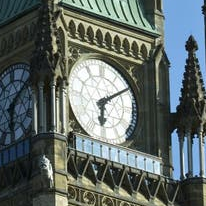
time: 6:08
